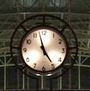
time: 4:57
